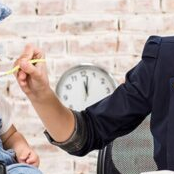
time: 12:02
